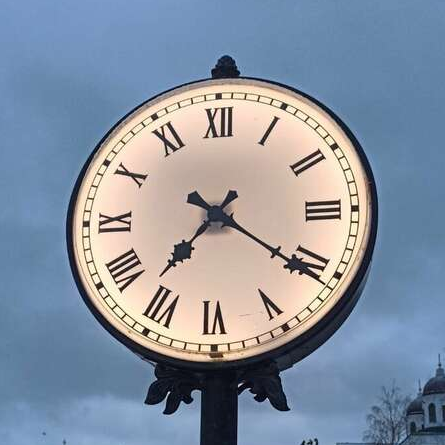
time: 7:20
